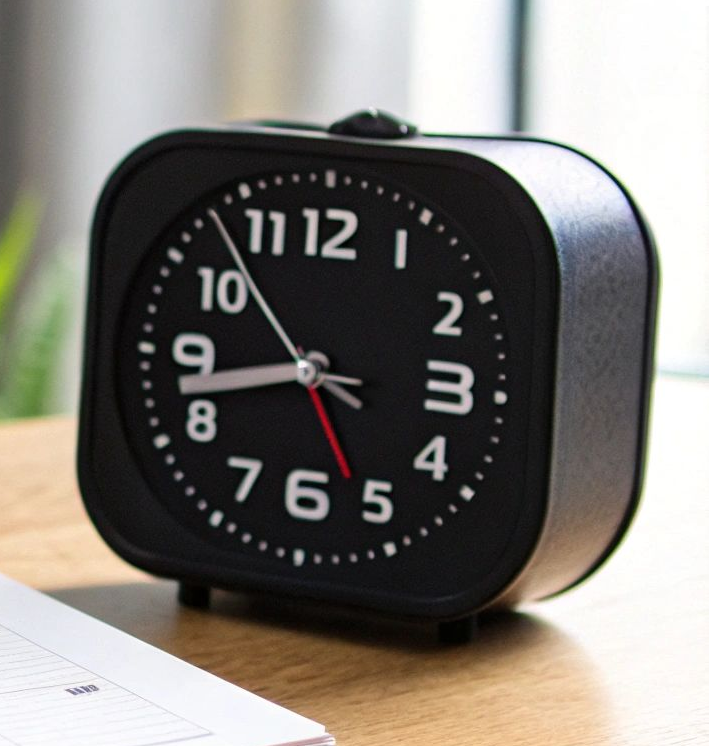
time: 8:42
